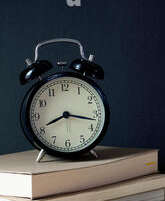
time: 8:17
